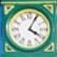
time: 4:04
